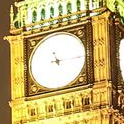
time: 11:15
